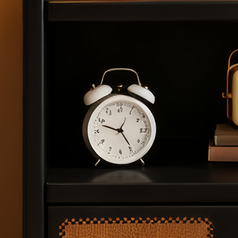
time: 4:48
